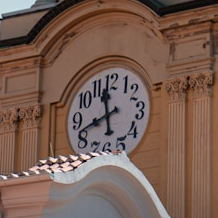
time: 11:41
